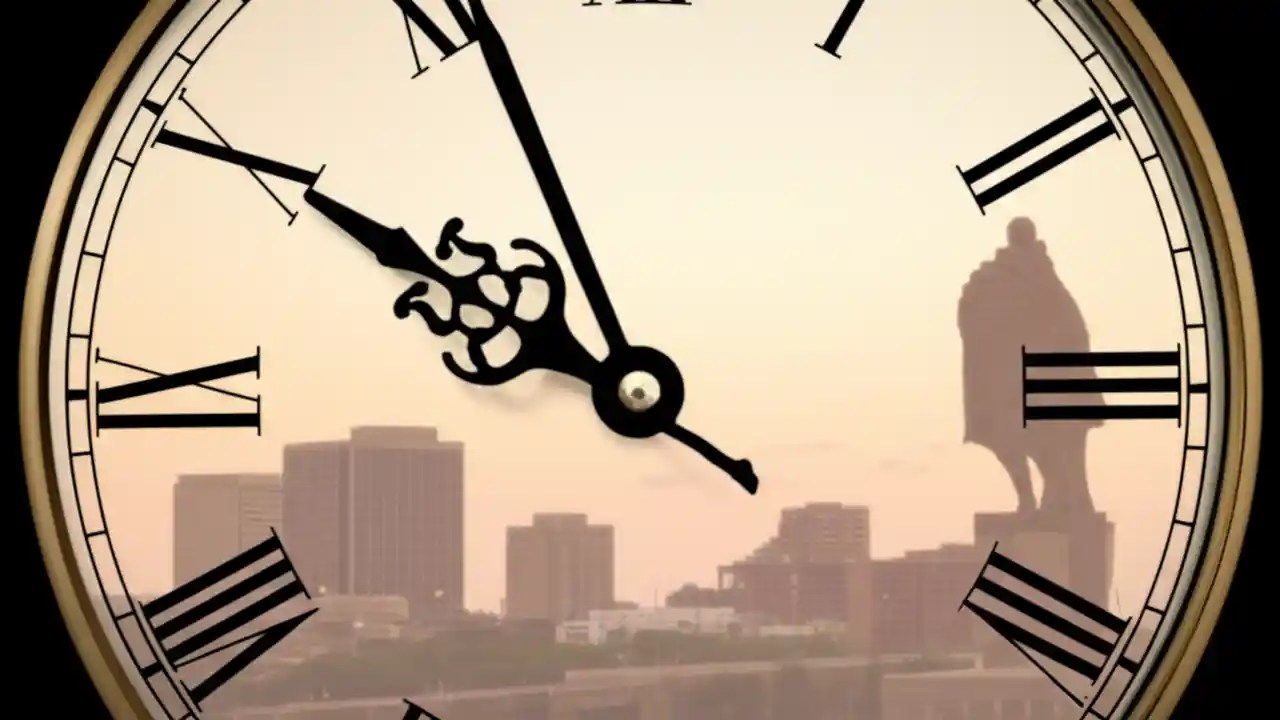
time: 9:56
